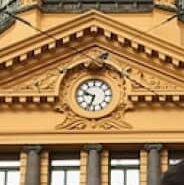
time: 9:33
